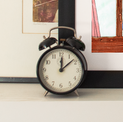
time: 12:08
